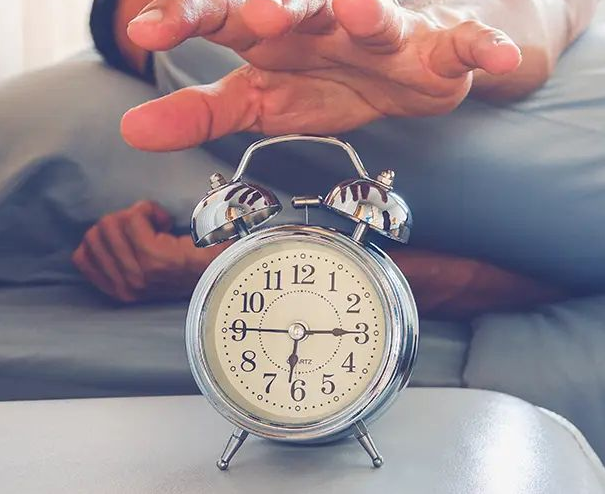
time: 6:14
